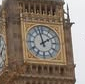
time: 1:57
